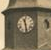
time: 11:28
